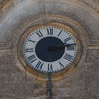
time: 3:13
